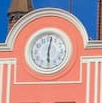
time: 6:01
